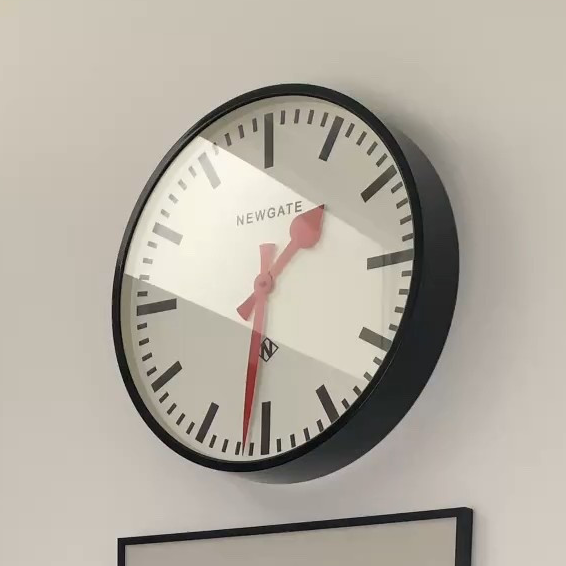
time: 1:31
